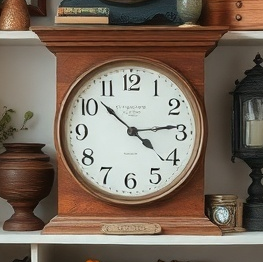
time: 4:13
